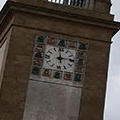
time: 2:59
